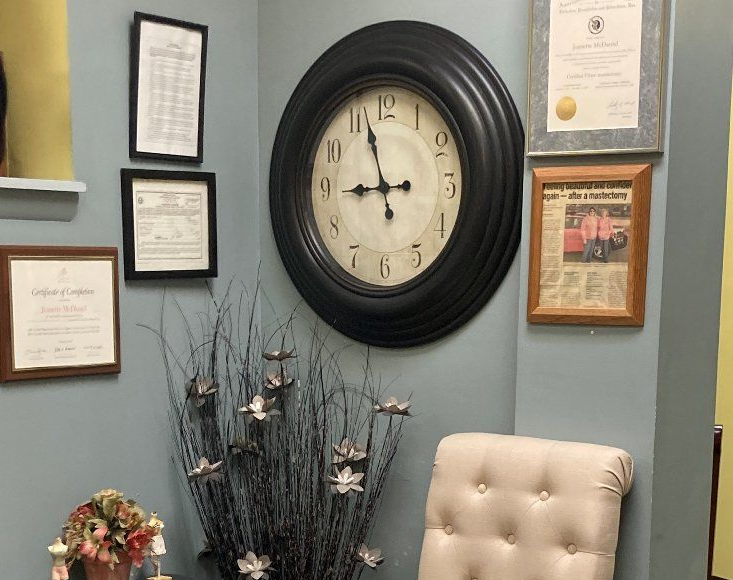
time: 8:57
